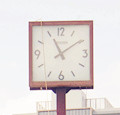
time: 11:09
